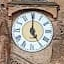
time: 5:00
